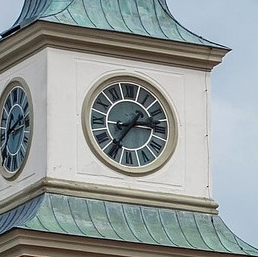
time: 2:36
